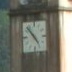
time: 4:52
